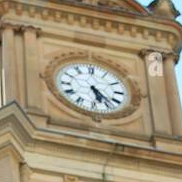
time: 5:22
